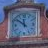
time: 11:51
